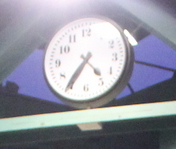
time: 4:35
